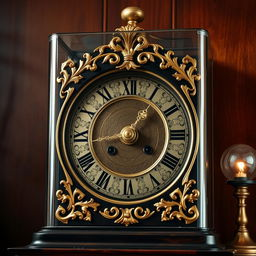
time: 4:06
